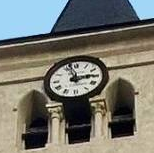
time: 2:57
